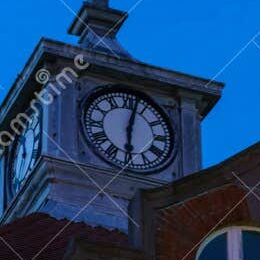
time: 6:02
